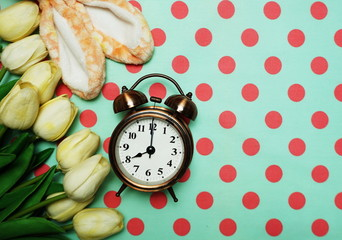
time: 7:59
